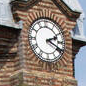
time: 2:19
